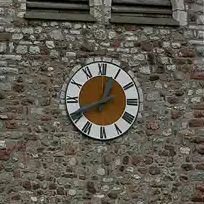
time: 12:41
